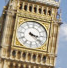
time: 3:21
